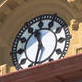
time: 11:32
